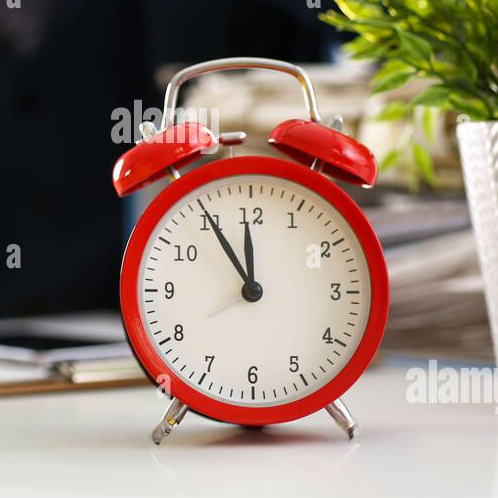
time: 11:54
